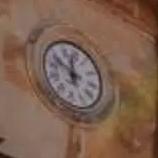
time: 11:48
